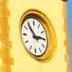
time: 2:53
